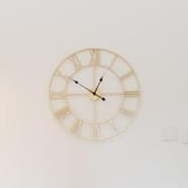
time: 12:50
